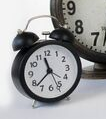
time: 11:37
